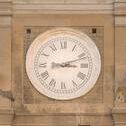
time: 3:11
